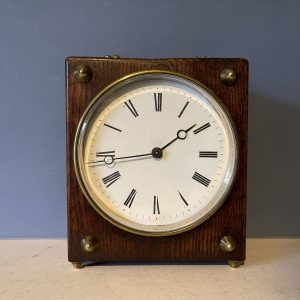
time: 1:43
